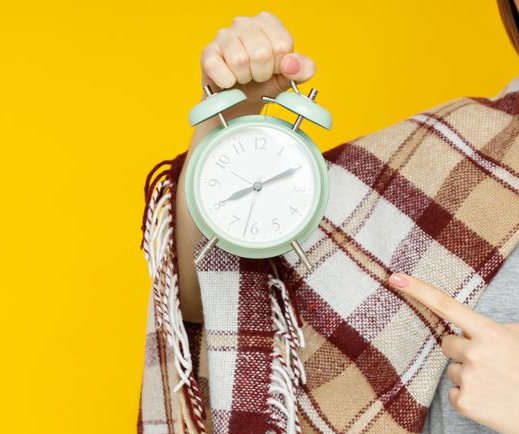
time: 8:10
